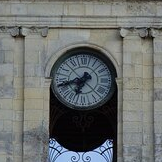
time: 6:41
